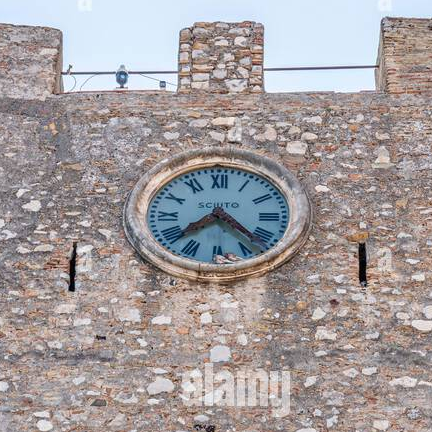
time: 7:22
